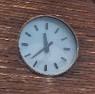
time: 11:37
